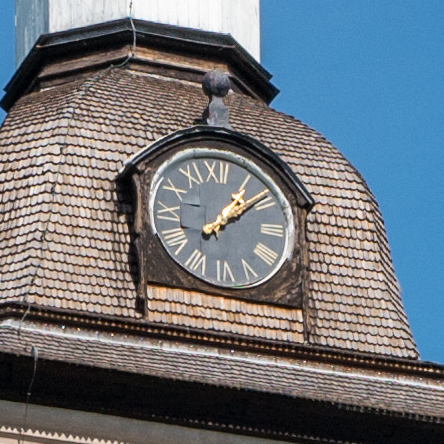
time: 1:08
